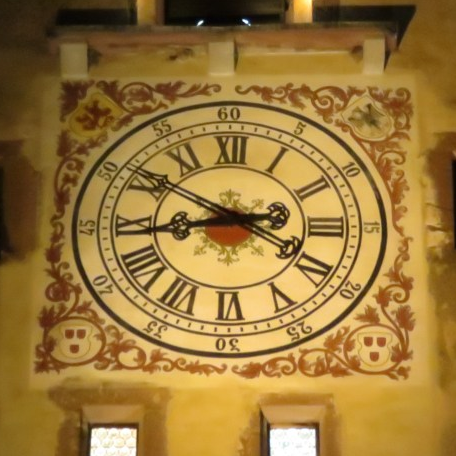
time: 8:50
